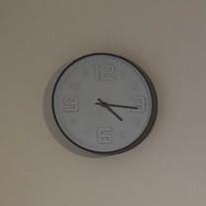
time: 4:16
